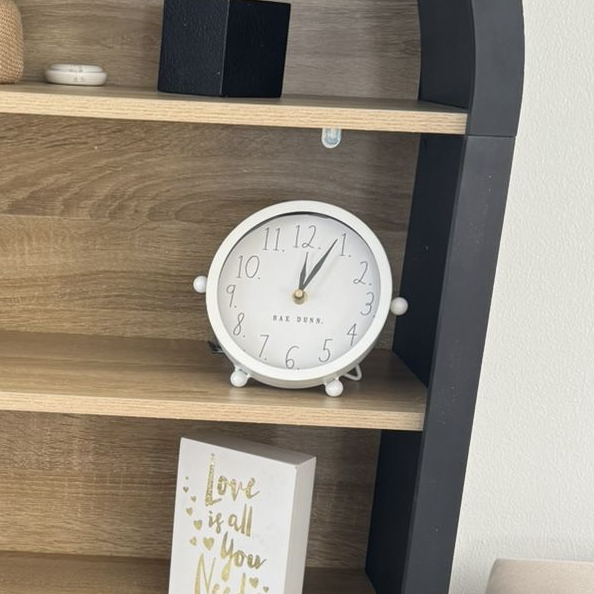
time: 12:04
